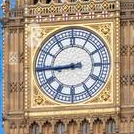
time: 8:44
